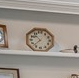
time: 10:37
